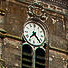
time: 7:23
